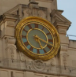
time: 5:18
